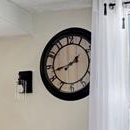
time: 1:42
